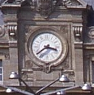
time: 3:39
